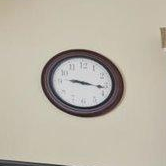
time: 9:16
